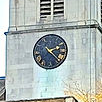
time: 2:22
